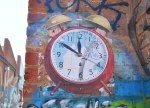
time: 11:50
